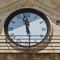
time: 11:57
